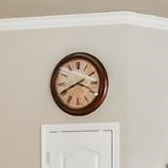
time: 3:40
